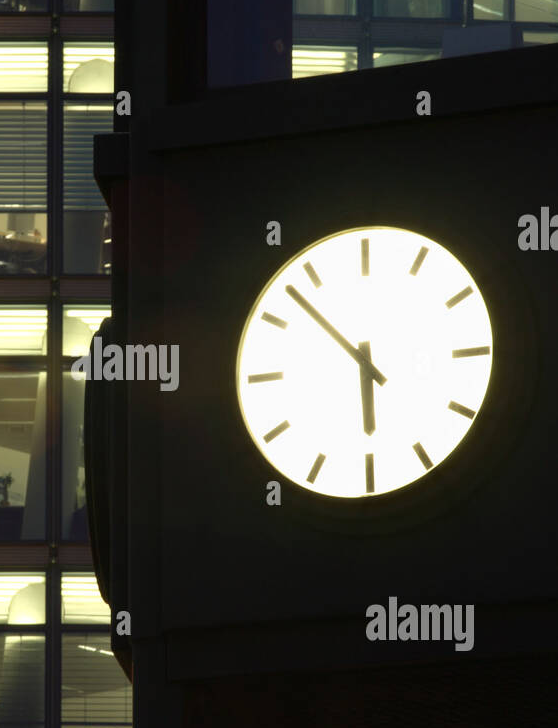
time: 5:52
